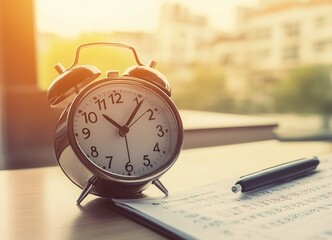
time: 10:06
